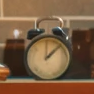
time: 12:07
